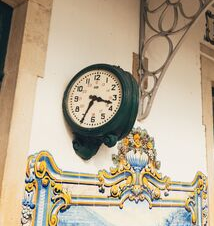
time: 3:34
